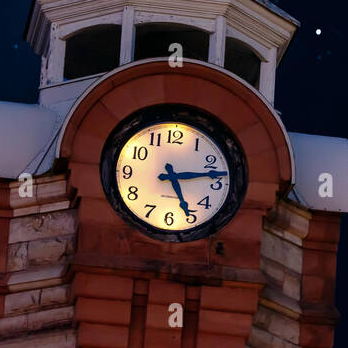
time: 5:13
